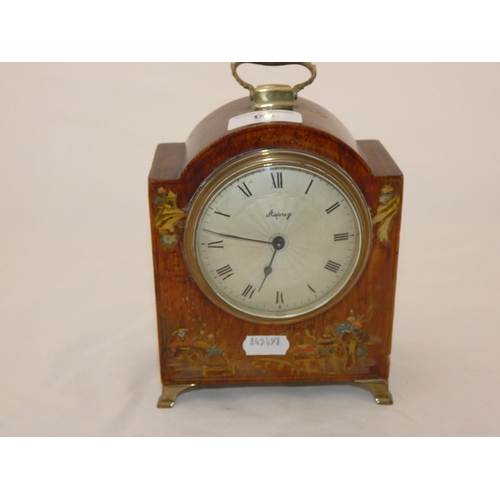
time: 6:46
